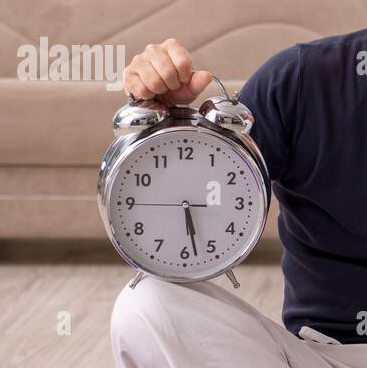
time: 5:28
